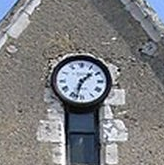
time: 1:32
